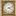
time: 4:12
